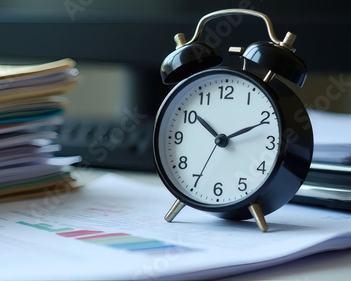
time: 10:11
